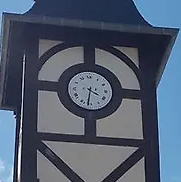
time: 3:31
